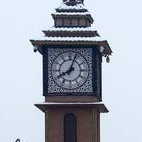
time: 8:03
